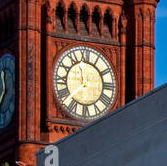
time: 11:37
